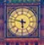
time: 5:47
